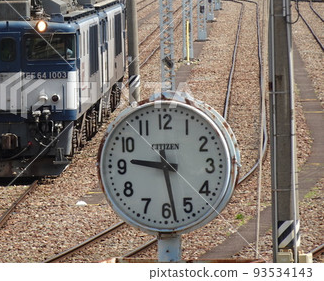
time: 9:28
